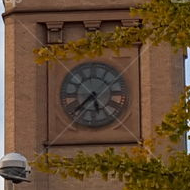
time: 5:37
